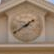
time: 1:39
